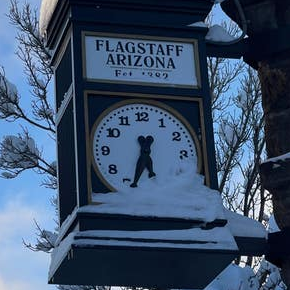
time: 5:33
